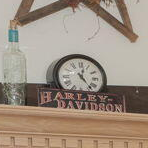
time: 12:23
